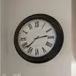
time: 2:37
